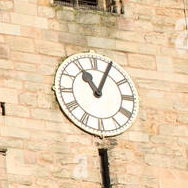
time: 11:04
